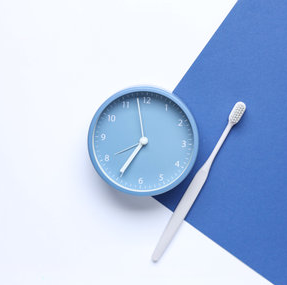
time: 6:58
